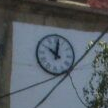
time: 10:00
